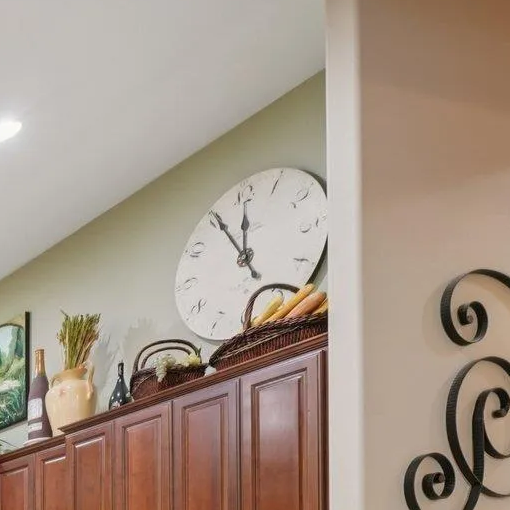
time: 11:55
